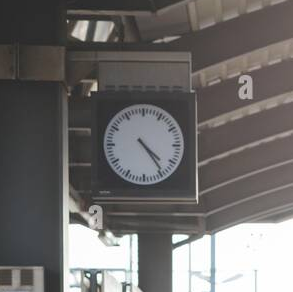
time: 4:23
